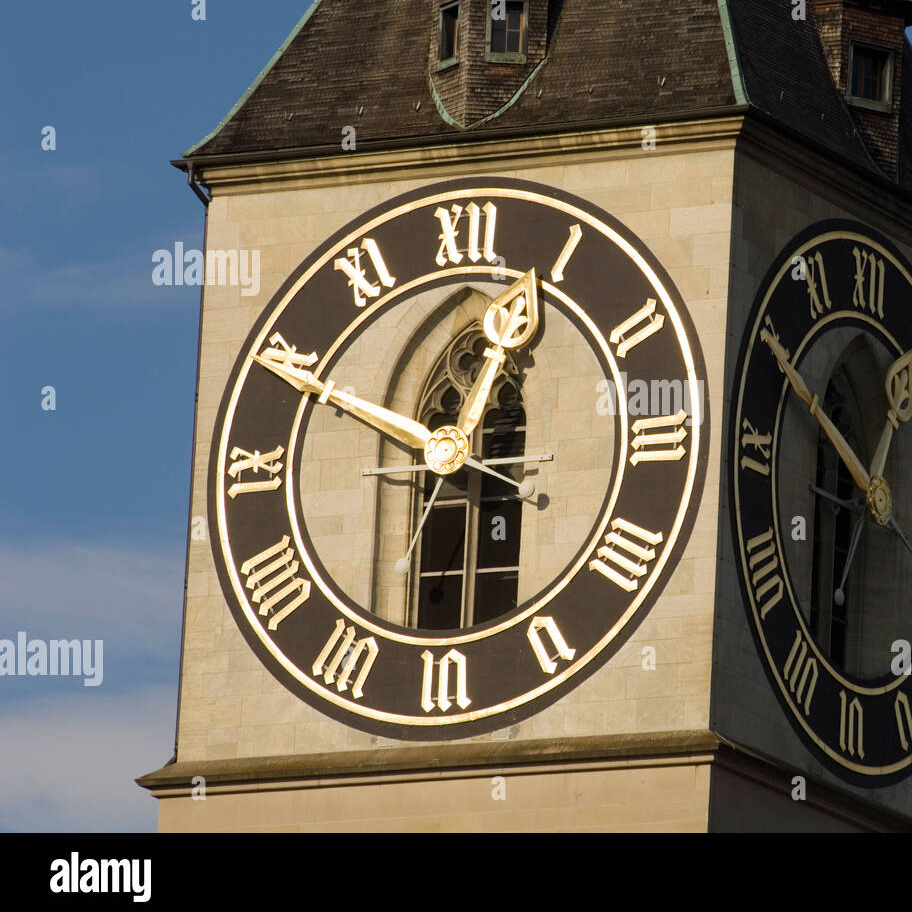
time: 12:49
